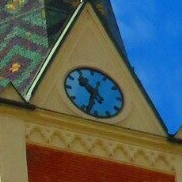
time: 10:33
